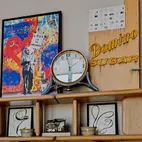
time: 5:58
